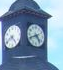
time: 4:41
